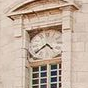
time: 4:38
